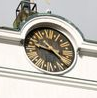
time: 9:22
